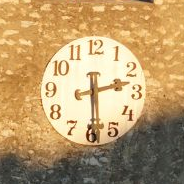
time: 2:29
